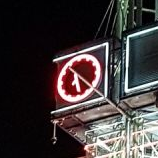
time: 5:21
